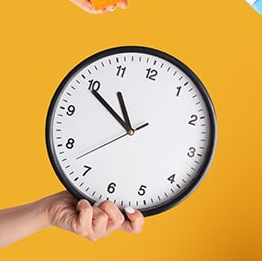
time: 10:49
